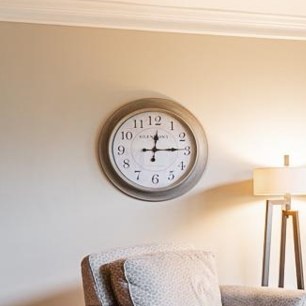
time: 12:14
